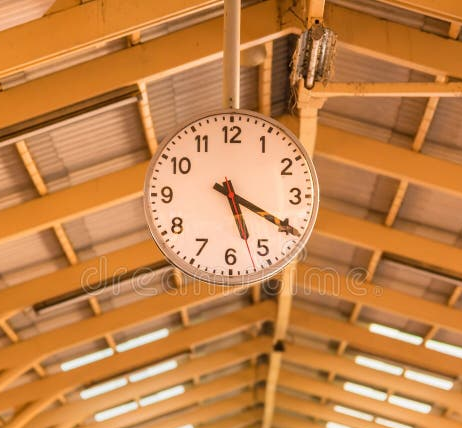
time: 5:19
